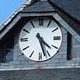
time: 4:27
